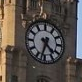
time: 4:33
